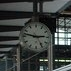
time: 2:47
